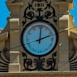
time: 12:11
